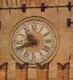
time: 10:41
